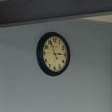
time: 2:56
